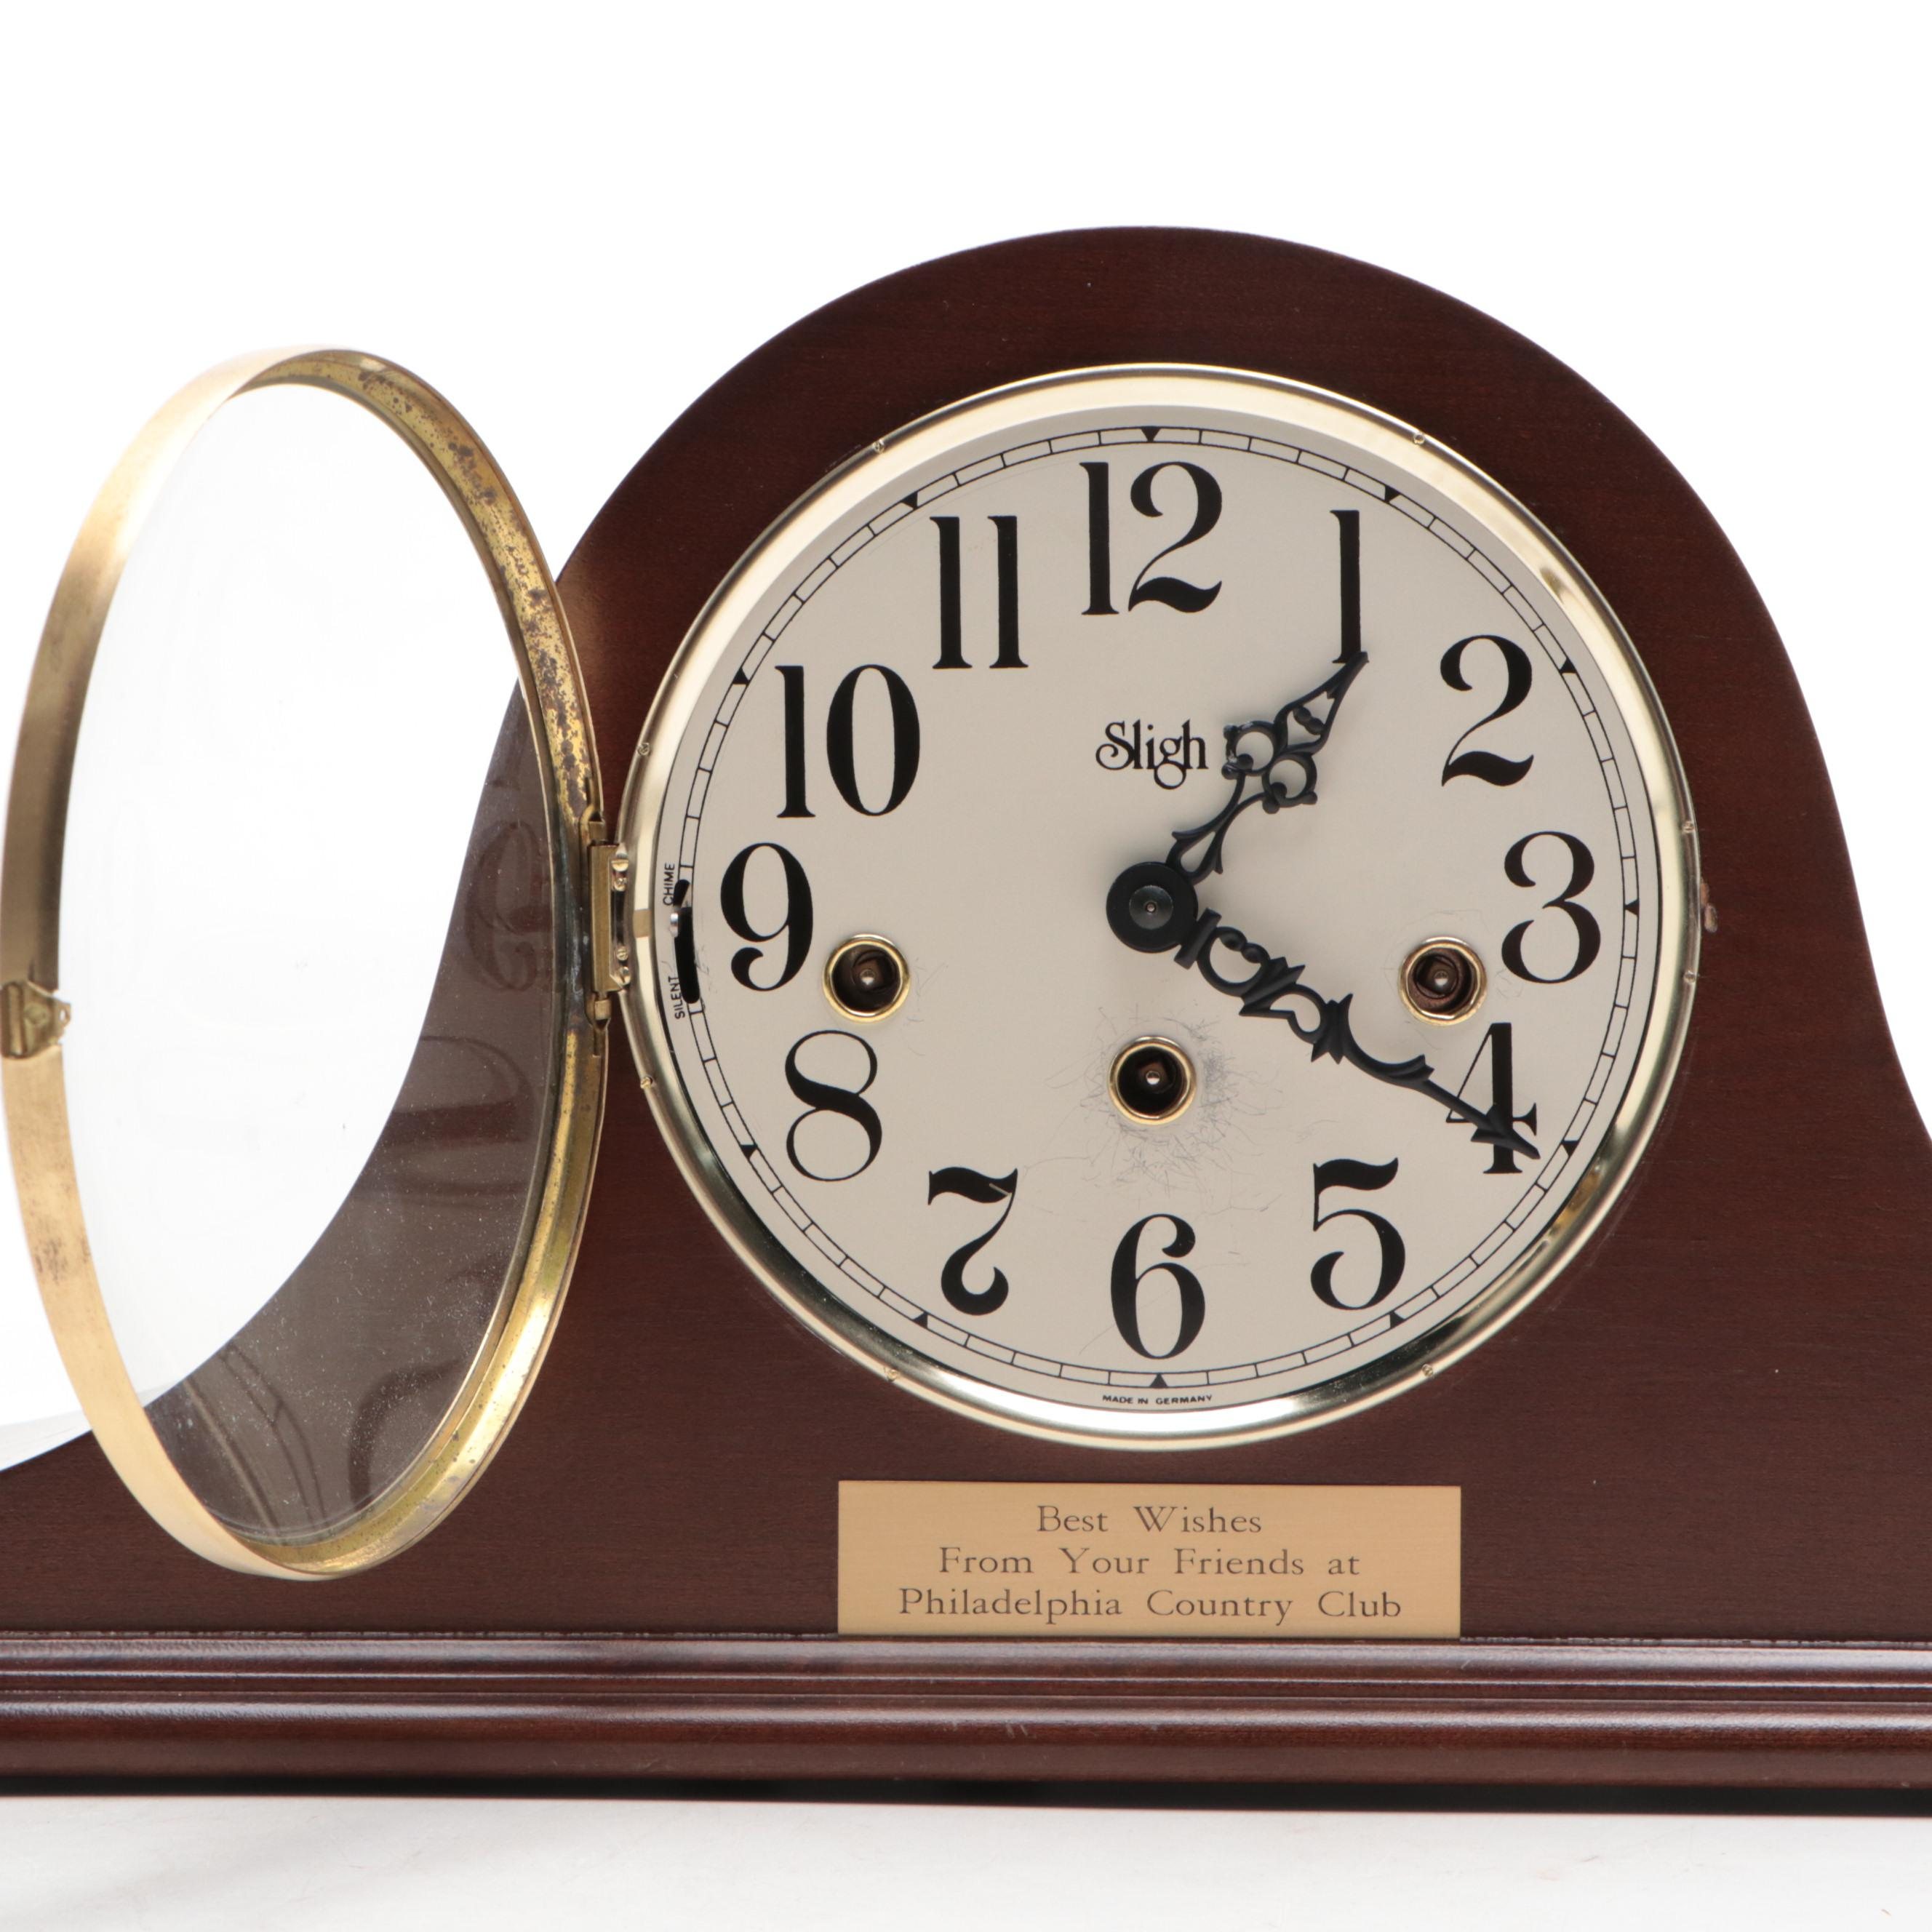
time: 1:20
